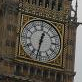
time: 12:32
